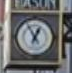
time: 12:55
